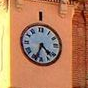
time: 4:33
